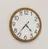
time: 4:36
